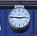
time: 2:46
